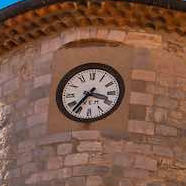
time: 3:36
